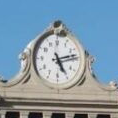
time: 5:12
